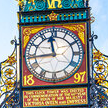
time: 11:43
